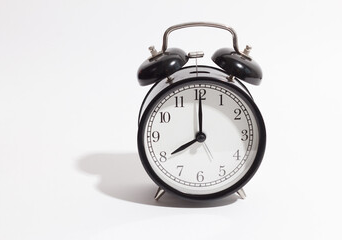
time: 8:00
